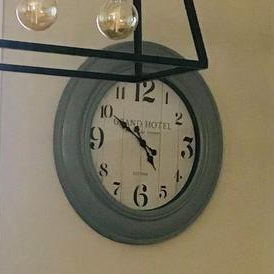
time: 4:50
